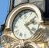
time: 2:23
